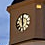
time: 5:59
